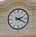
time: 2:19
